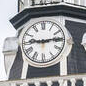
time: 9:13
